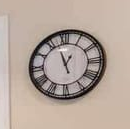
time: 12:57
